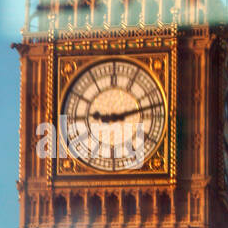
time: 9:12
